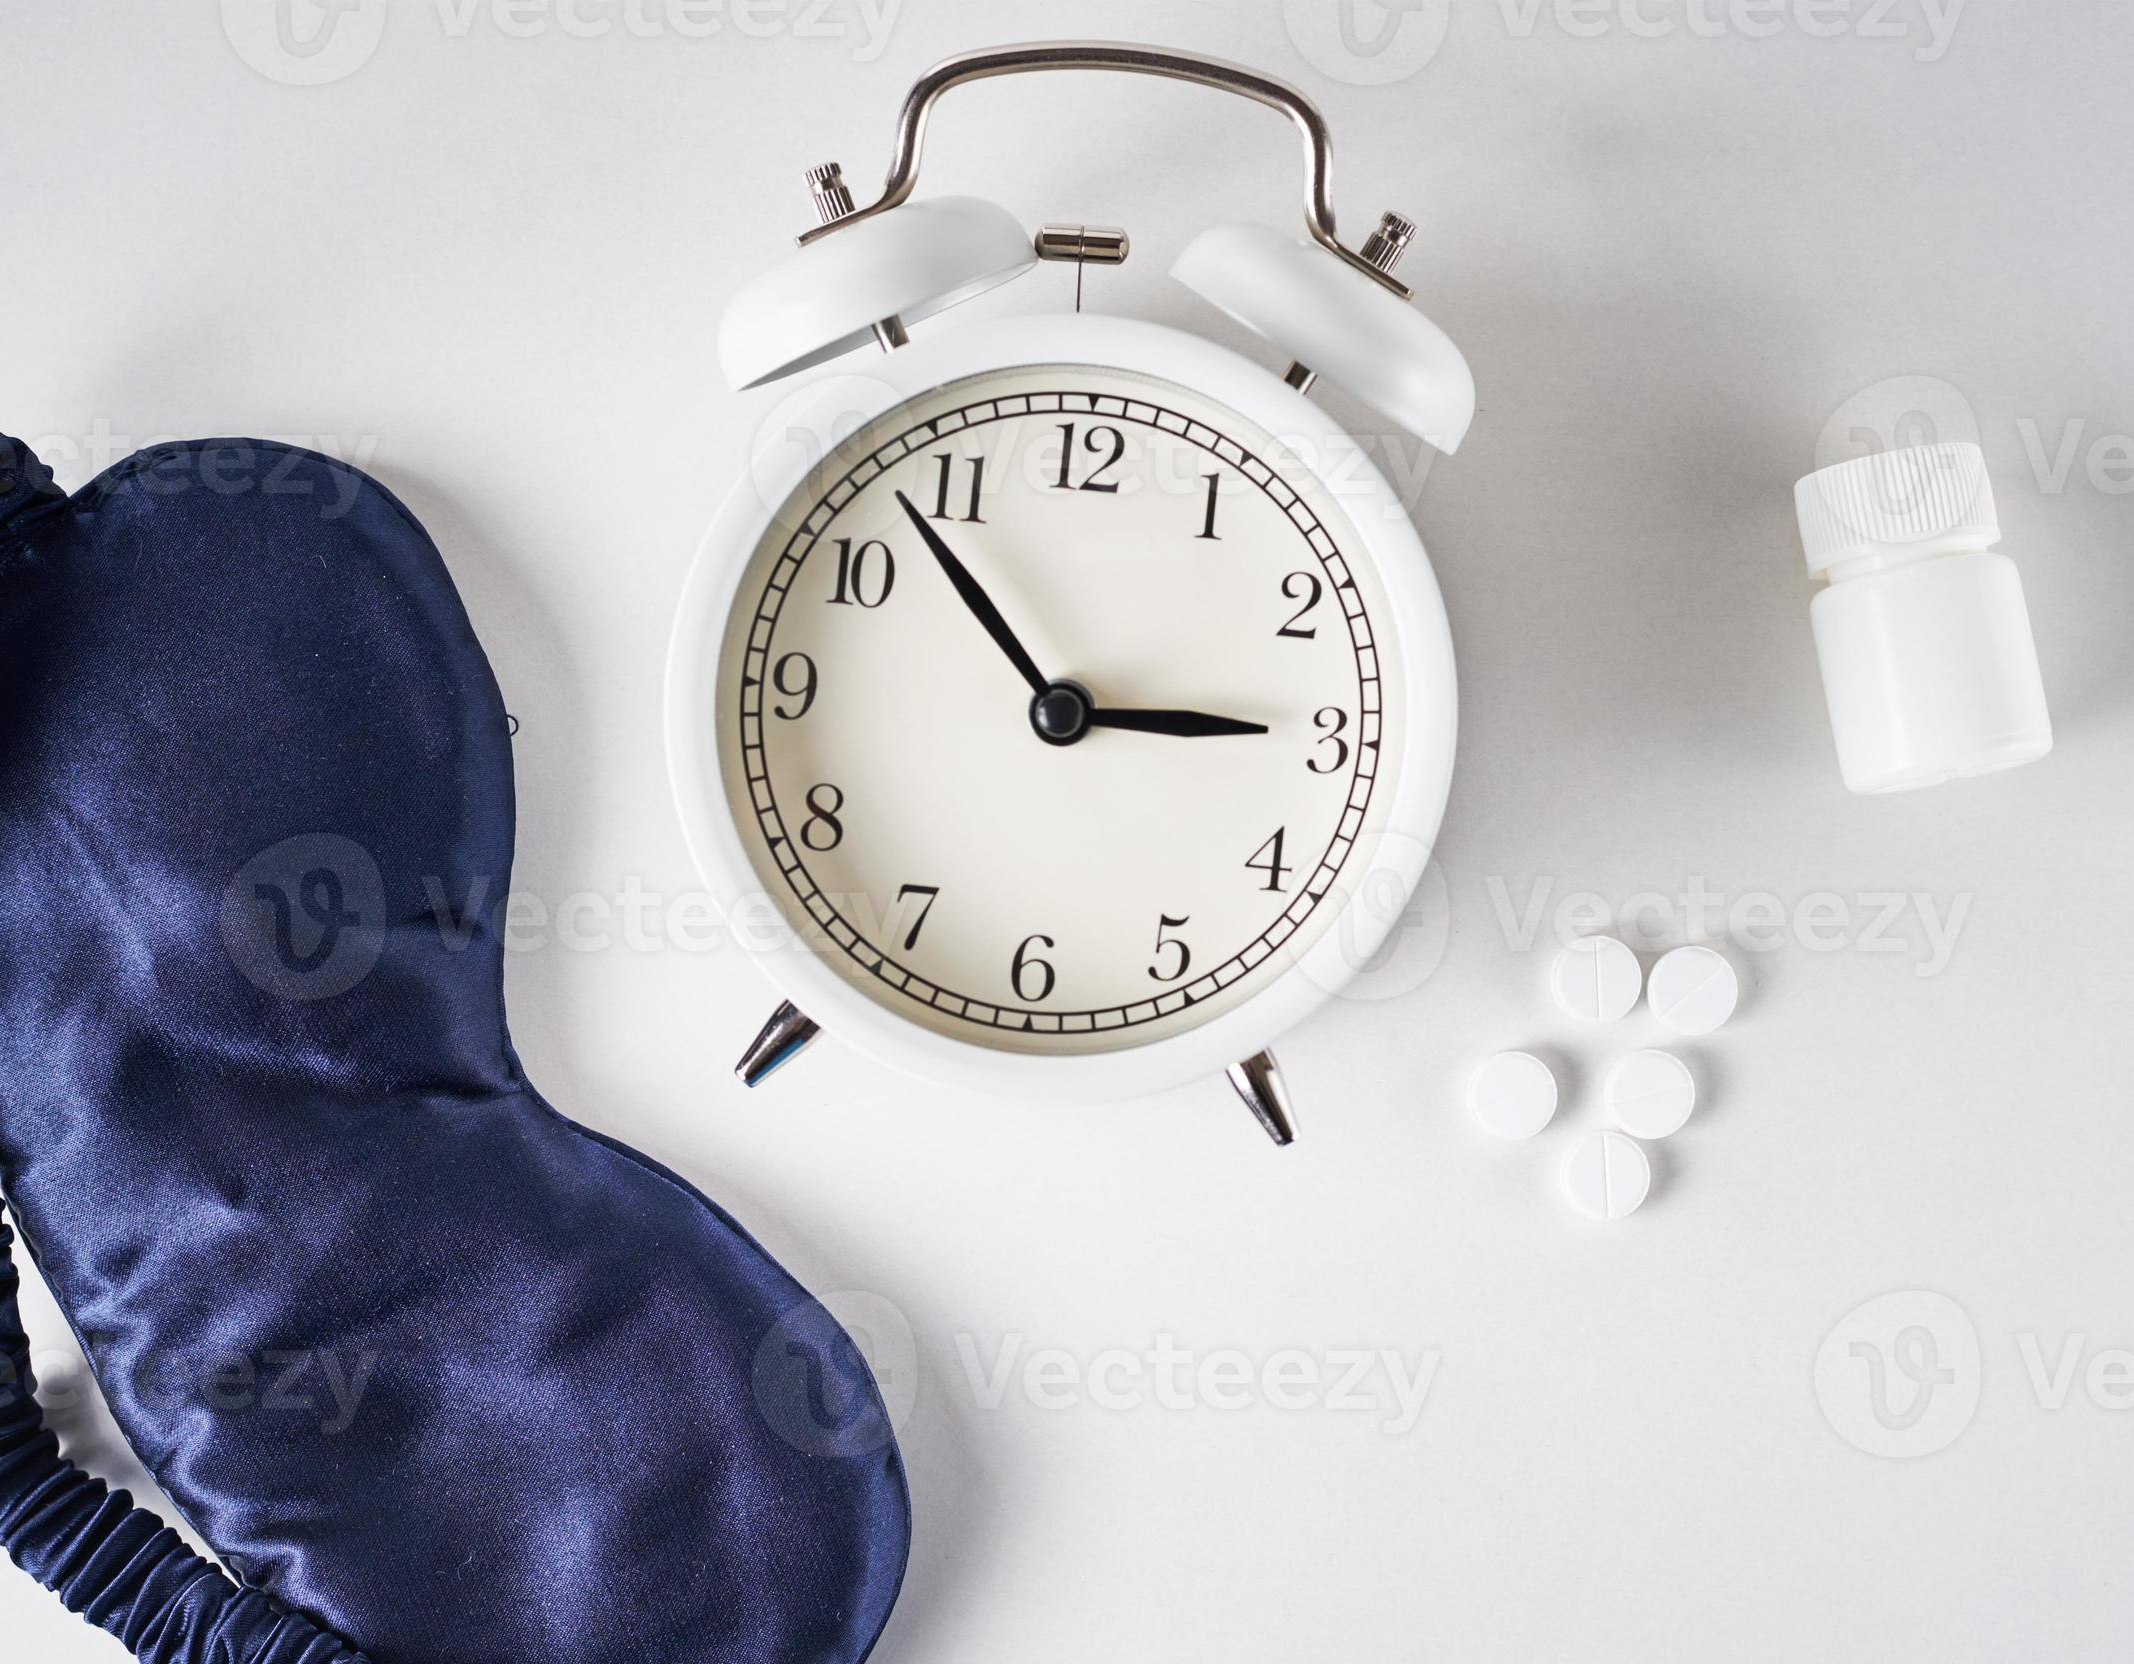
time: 2:53
